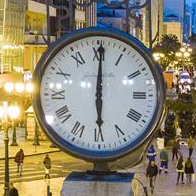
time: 6:00
